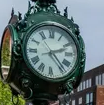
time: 2:23
